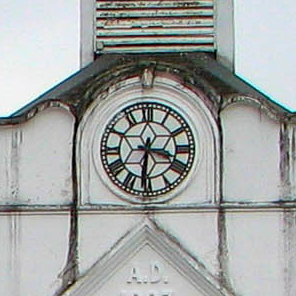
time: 3:31
